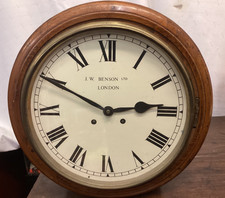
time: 2:49
